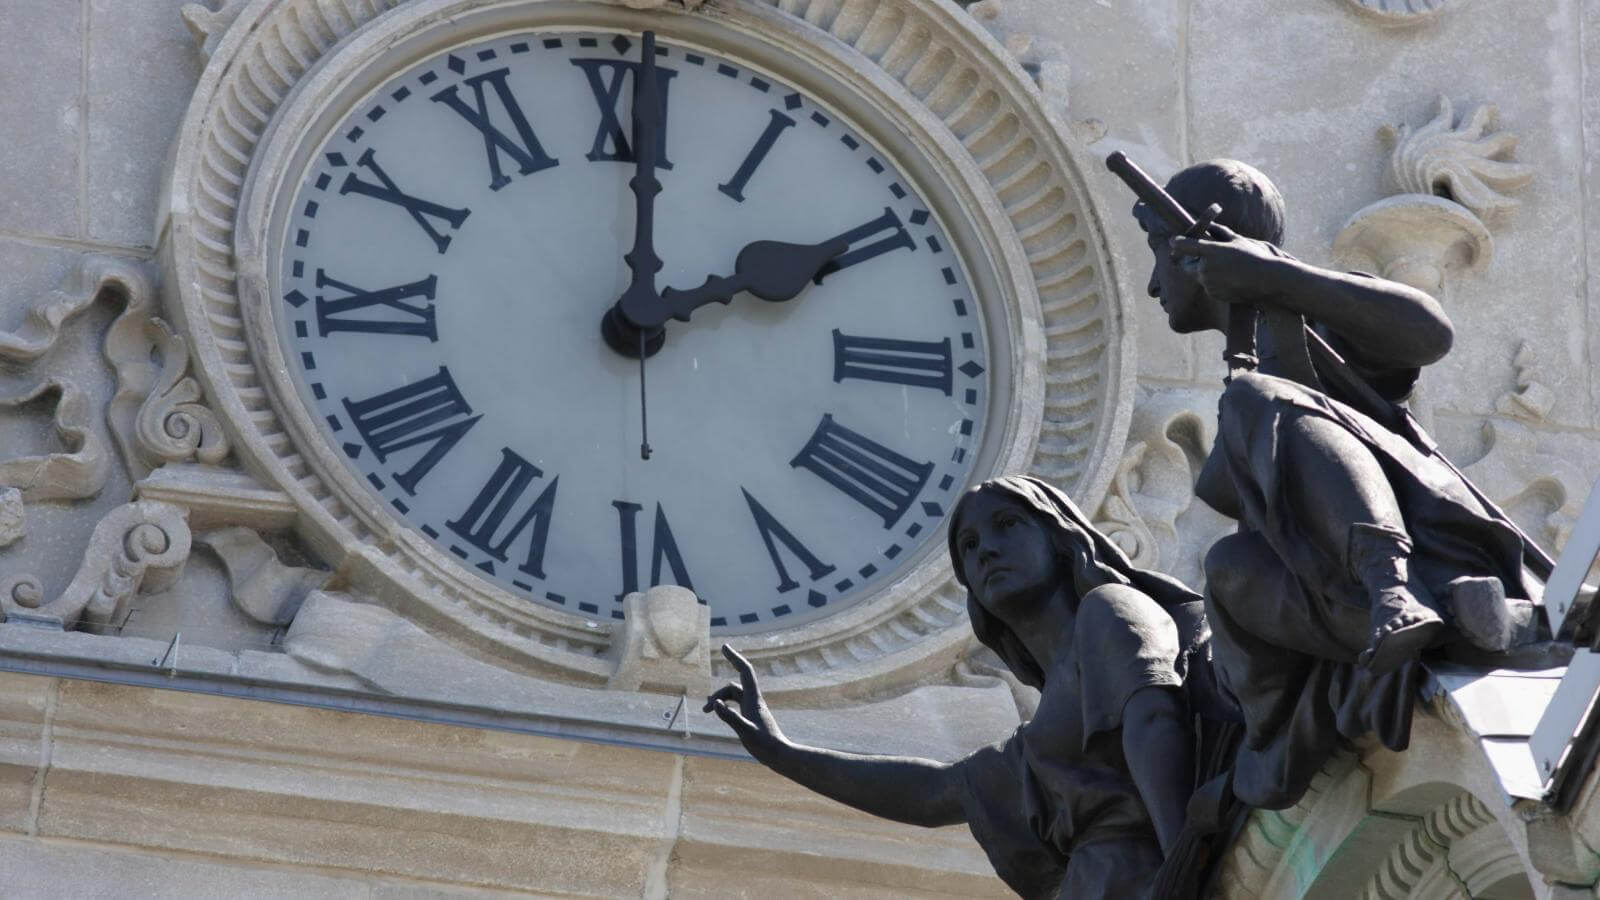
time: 2:00
